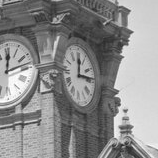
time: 12:13
